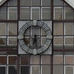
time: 6:27
